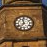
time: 11:37
